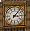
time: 3:06
